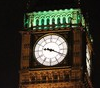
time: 9:18
